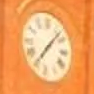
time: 7:07
